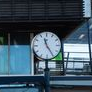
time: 11:24
